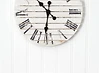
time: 10:31
